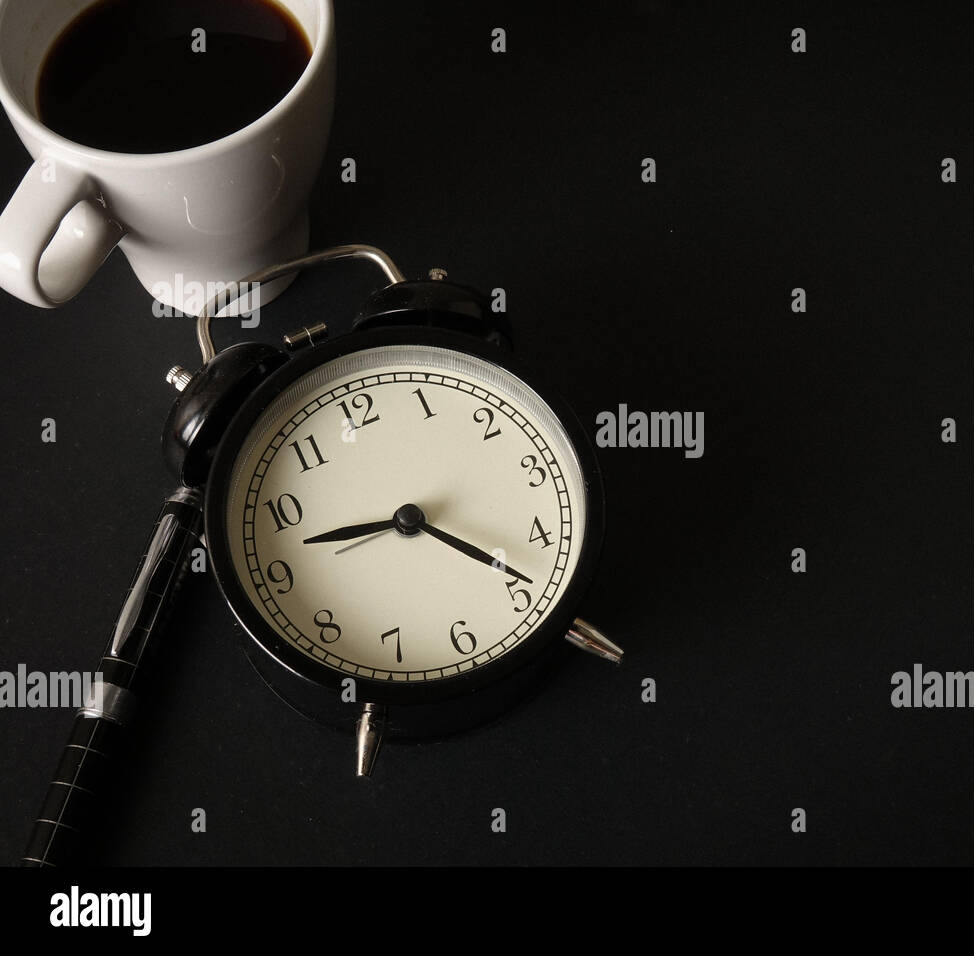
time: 8:19
